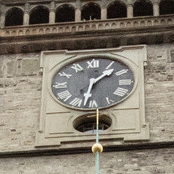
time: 1:32
